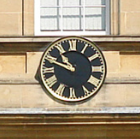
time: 10:48
